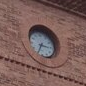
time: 2:34
